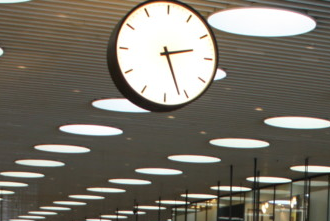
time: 2:26
